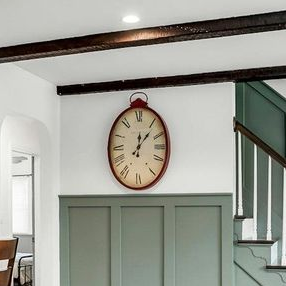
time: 12:06
